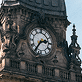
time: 2:36
